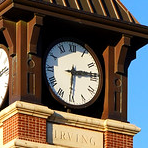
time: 6:14
